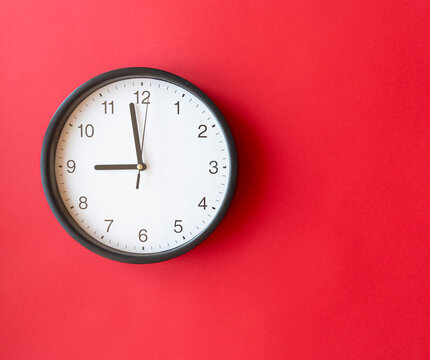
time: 8:58
